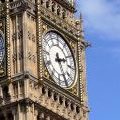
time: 2:25
